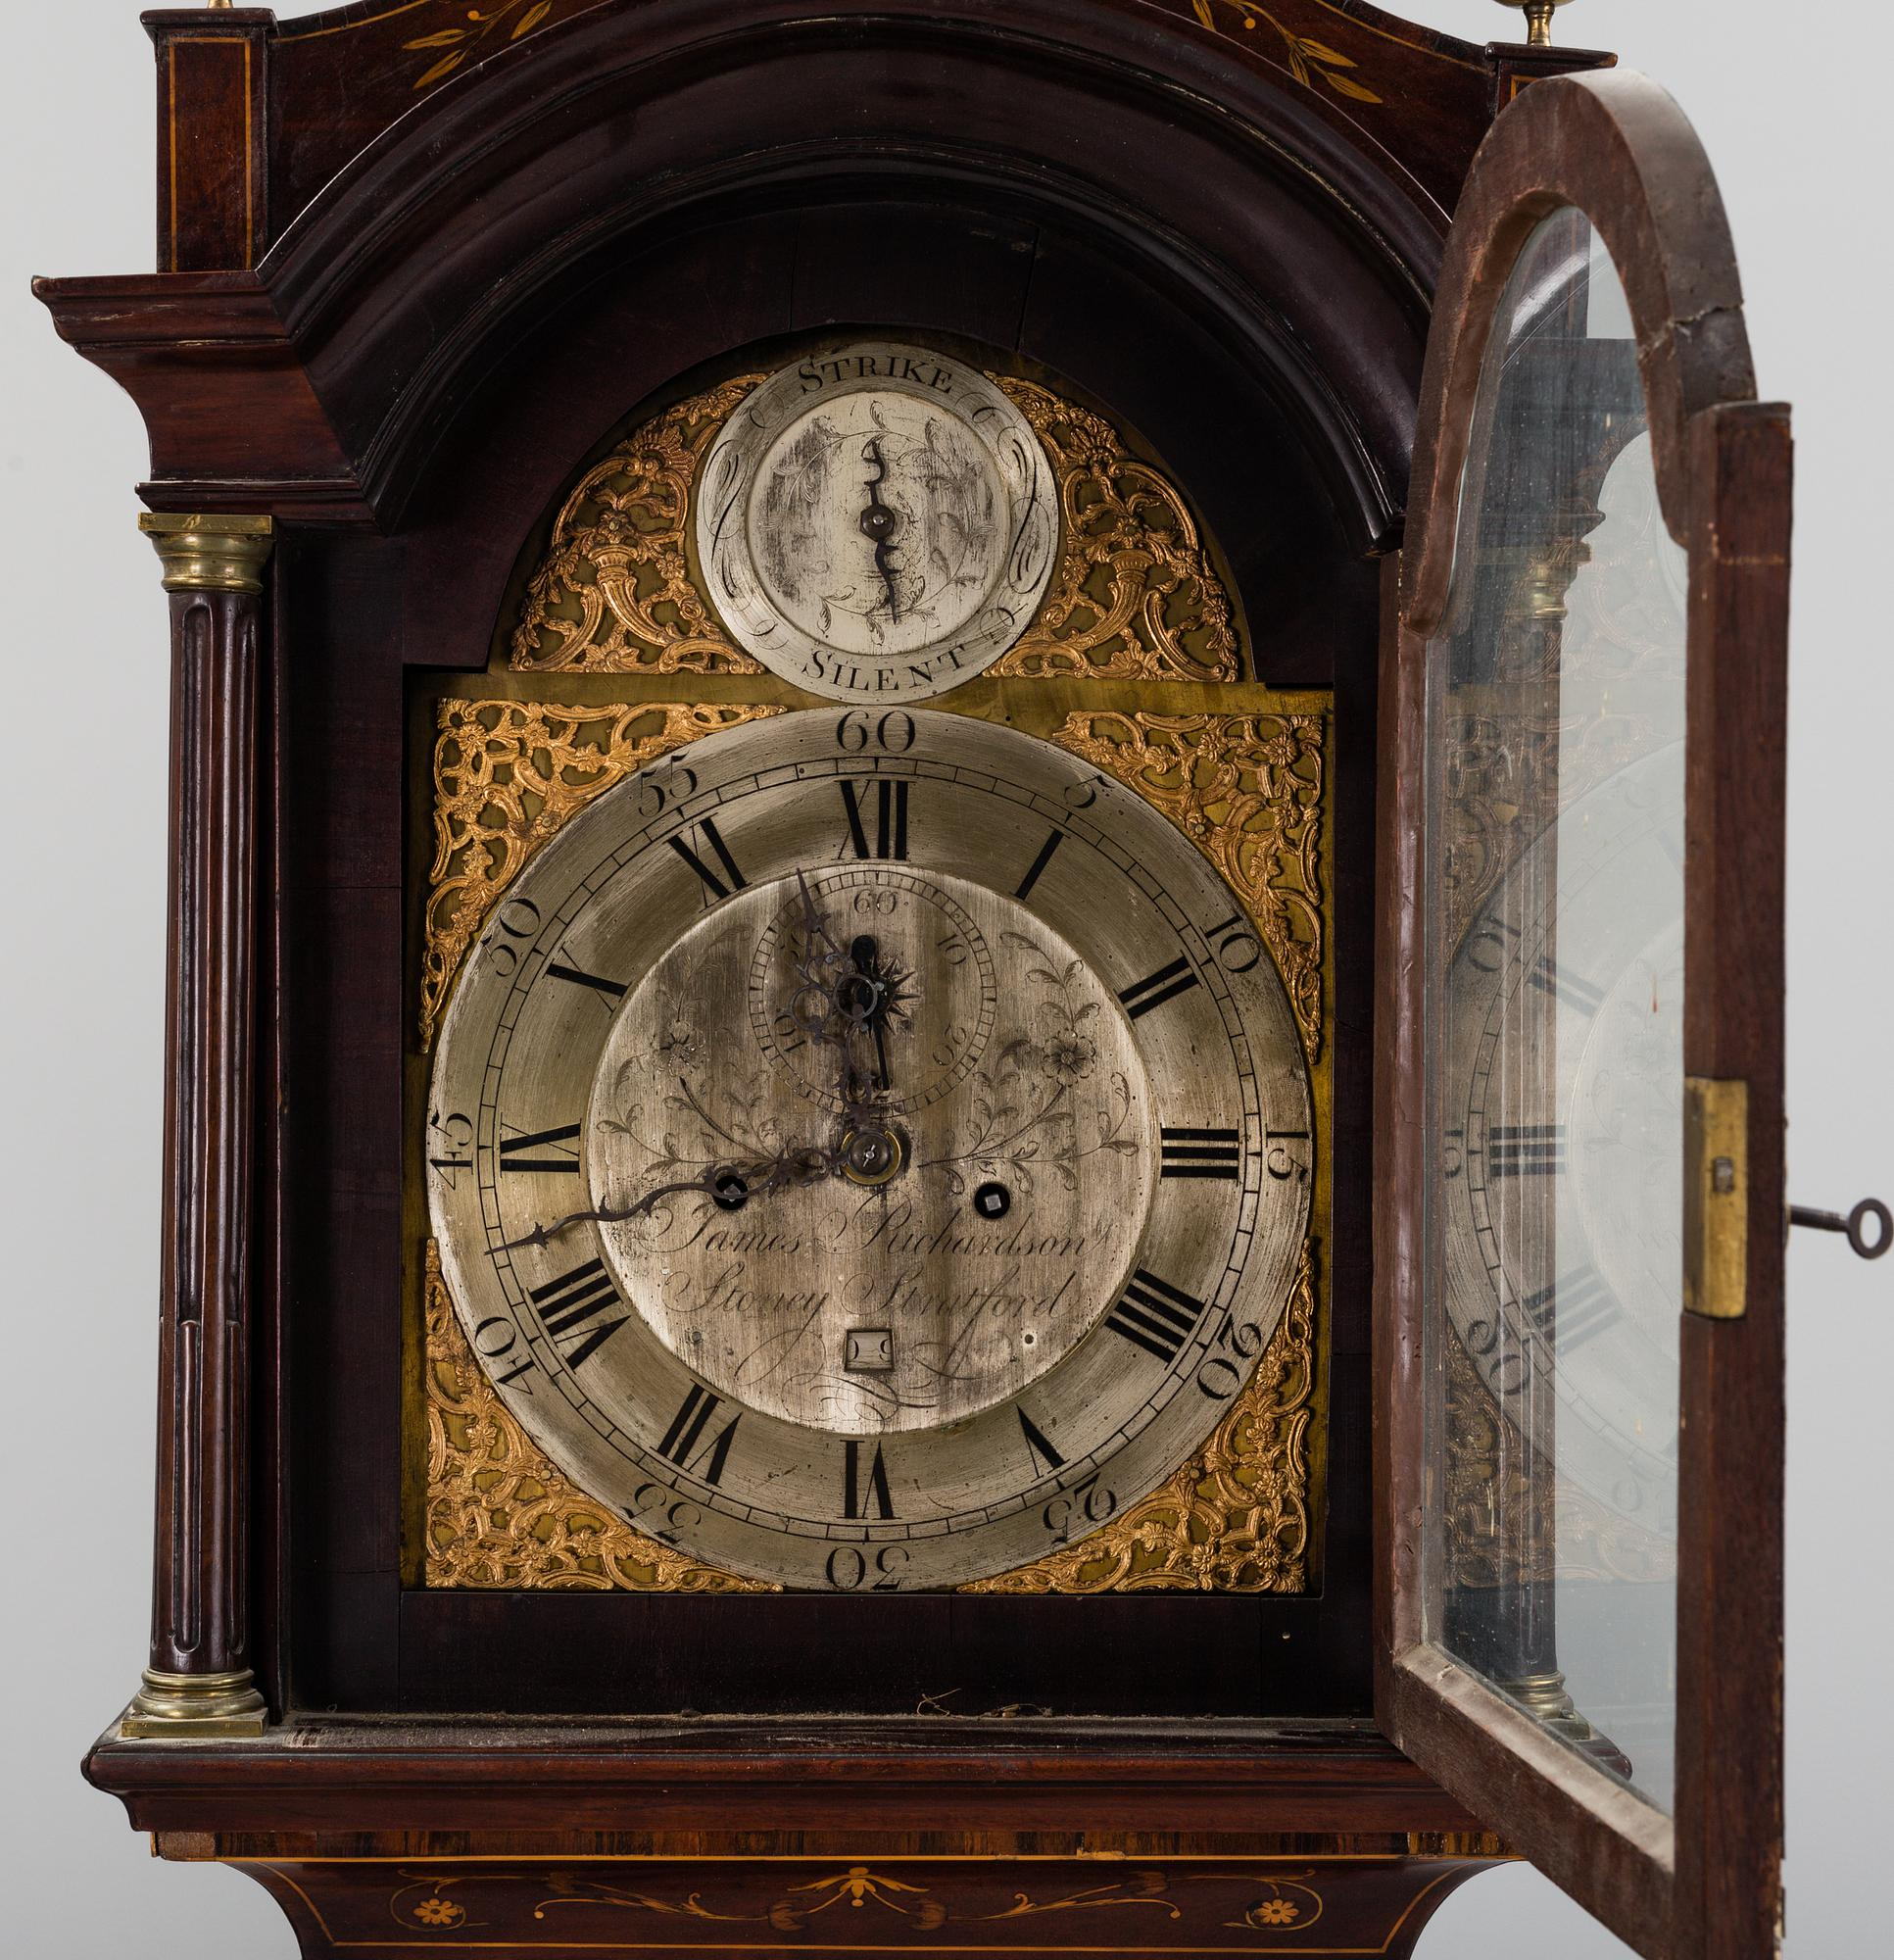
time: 11:42
